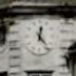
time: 12:23
